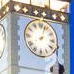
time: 8:03
